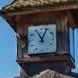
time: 11:04
